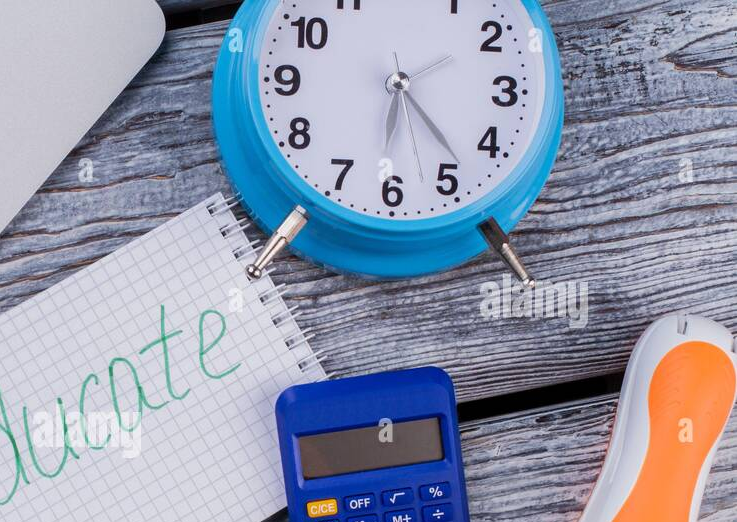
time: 6:23
